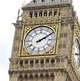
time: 2:09
